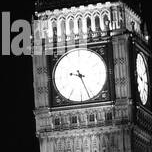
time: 9:26
